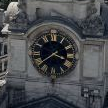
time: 3:38
